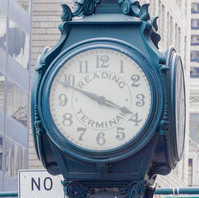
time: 3:48
